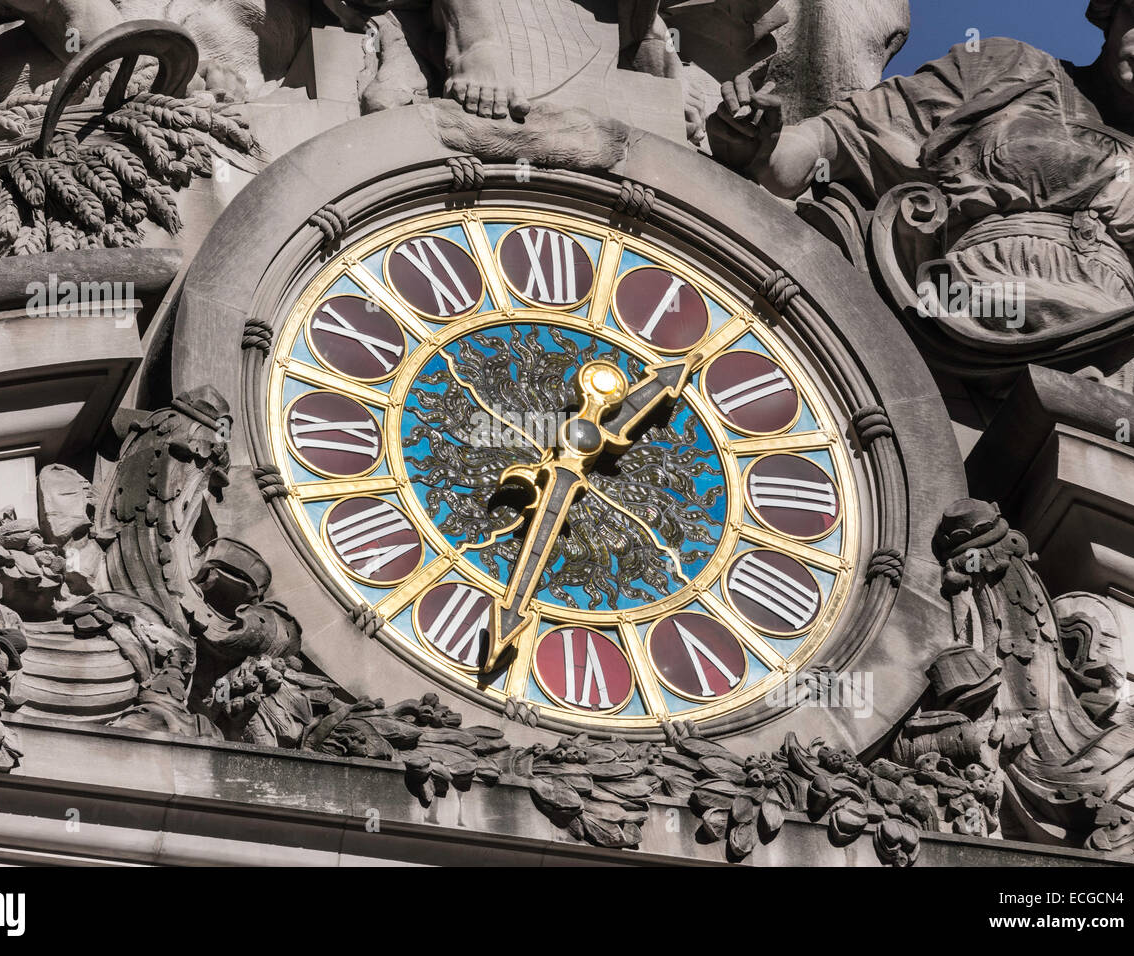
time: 1:33
